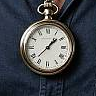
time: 1:37
